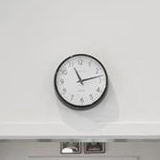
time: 11:13
